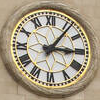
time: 3:06
